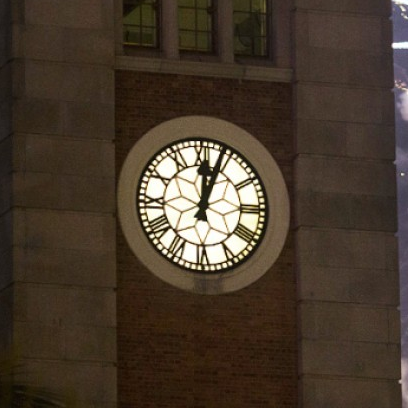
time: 12:03
